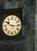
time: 10:15
